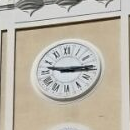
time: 9:14
